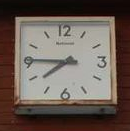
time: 7:45
